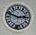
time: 2:48
